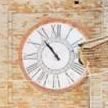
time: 10:53
